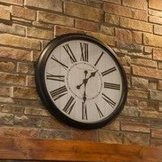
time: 1:30
